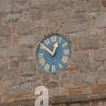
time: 12:50
